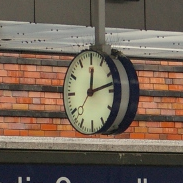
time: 12:12
